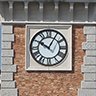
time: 10:05
